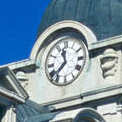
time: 11:37
